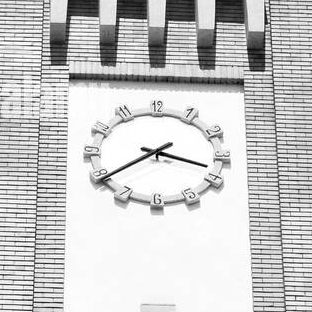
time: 3:39
